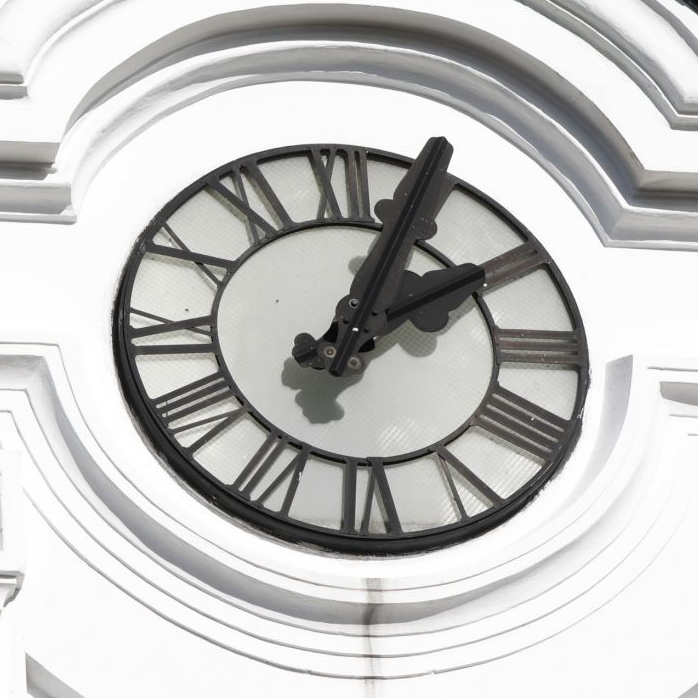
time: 2:04
